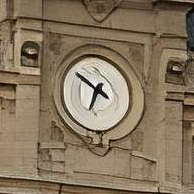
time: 6:50
